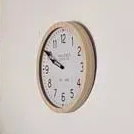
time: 9:50
